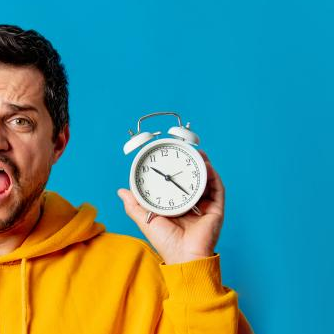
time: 10:22
